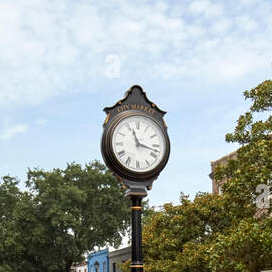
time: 11:17
